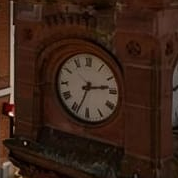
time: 2:33
